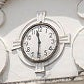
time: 11:30
